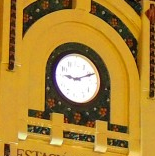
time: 9:10
